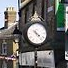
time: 4:22
